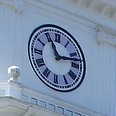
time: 11:12
